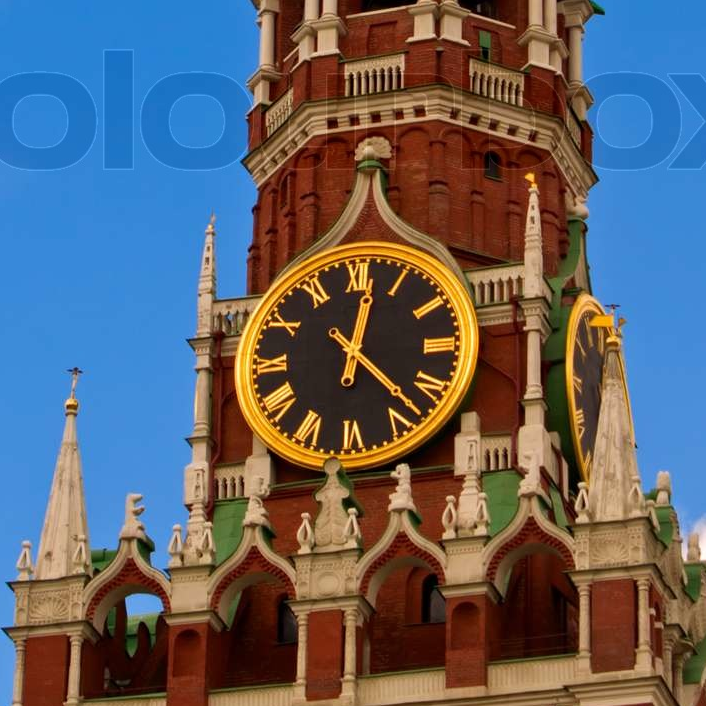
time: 12:22
